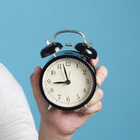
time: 8:57
